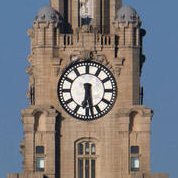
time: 6:28
